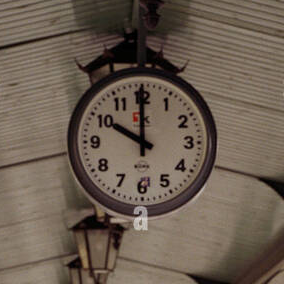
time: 9:59
